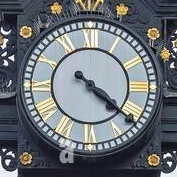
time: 4:21
